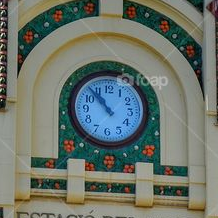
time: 10:53
